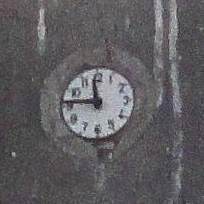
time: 11:46
